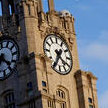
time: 4:35
